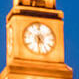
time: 4:30
